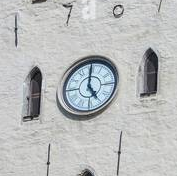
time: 5:00
